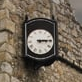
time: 3:14
